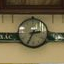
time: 2:34
